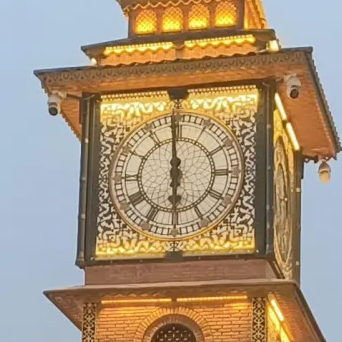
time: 5:59
